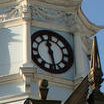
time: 11:28
